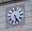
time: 5:26
